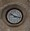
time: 10:17
